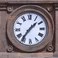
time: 1:36
